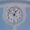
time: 12:52
